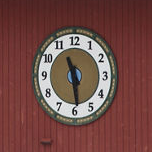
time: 11:29
